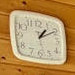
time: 1:09
